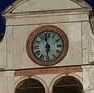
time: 5:57
